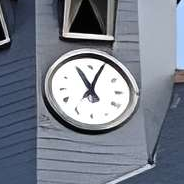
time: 11:04
